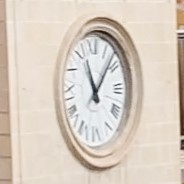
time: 11:07
